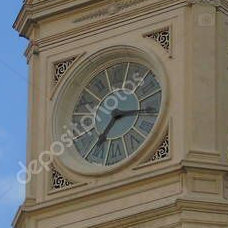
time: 7:15
